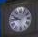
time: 9:45
